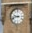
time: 9:42
